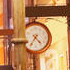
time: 4:35
